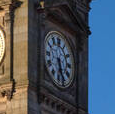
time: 5:26
